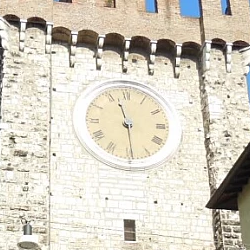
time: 11:29
